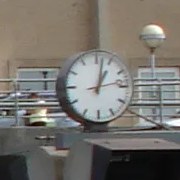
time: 1:02
